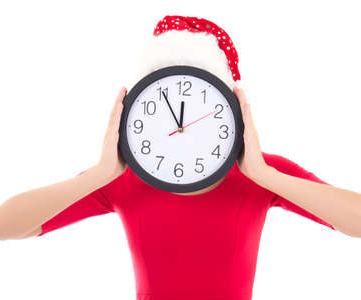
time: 11:55
